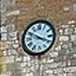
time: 3:50
